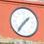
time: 1:36
